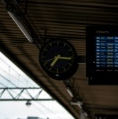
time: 7:16
